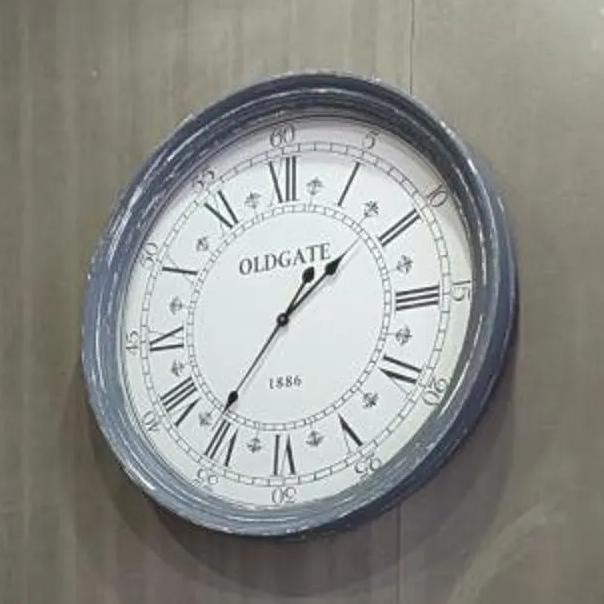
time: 1:36
